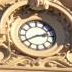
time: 2:40
